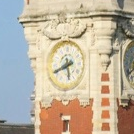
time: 5:40
